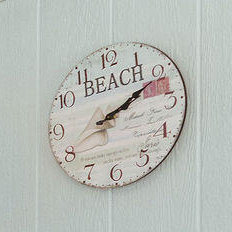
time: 2:10
